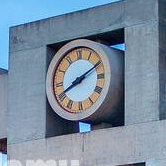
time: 8:10
